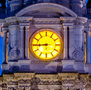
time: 8:44
